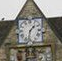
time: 1:32
